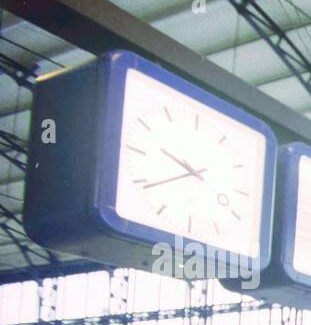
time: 9:39
